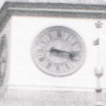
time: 3:16
